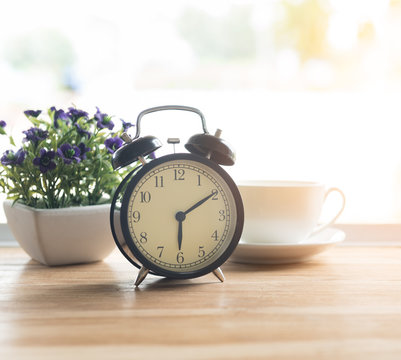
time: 6:09
